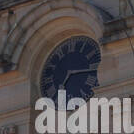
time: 7:15
